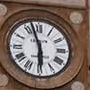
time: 5:57
